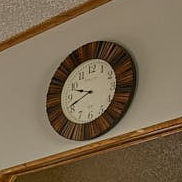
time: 9:41
